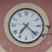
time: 7:21
